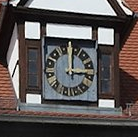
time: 3:00
